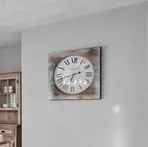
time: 6:42
